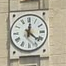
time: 12:21
